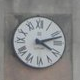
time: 4:12
